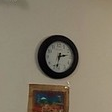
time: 2:32
